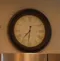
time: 7:31
